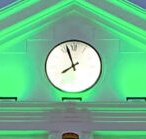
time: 7:56
